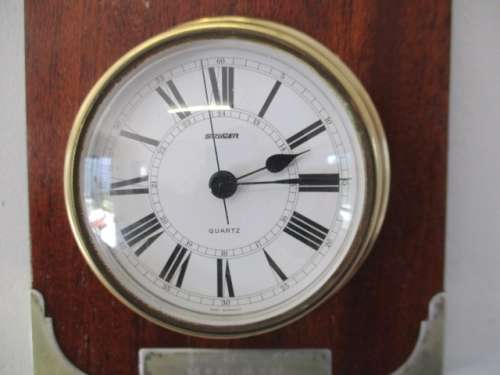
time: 2:14
